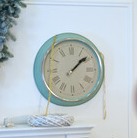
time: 1:08
